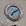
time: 7:09
